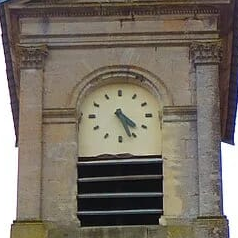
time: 4:26
